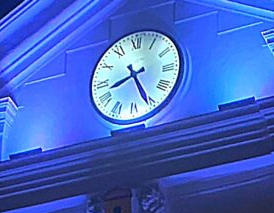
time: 8:25
